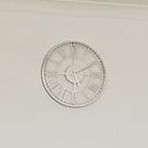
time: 5:10
